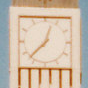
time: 12:37
